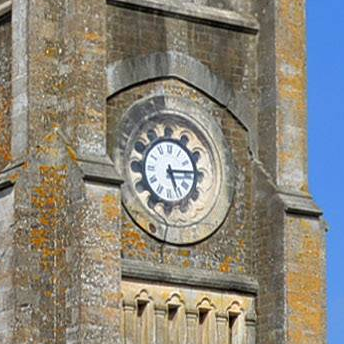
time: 5:14
